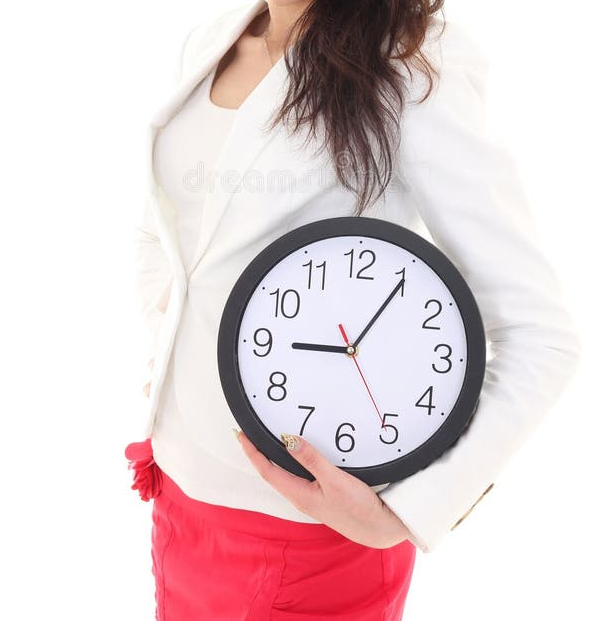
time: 9:05
